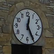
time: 12:25
